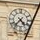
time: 4:36
